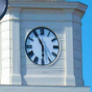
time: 5:55
